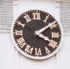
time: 4:09
